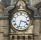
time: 3:33
